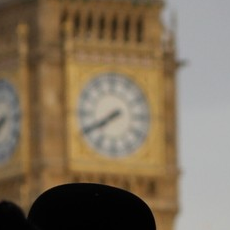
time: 7:40
